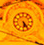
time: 5:24
